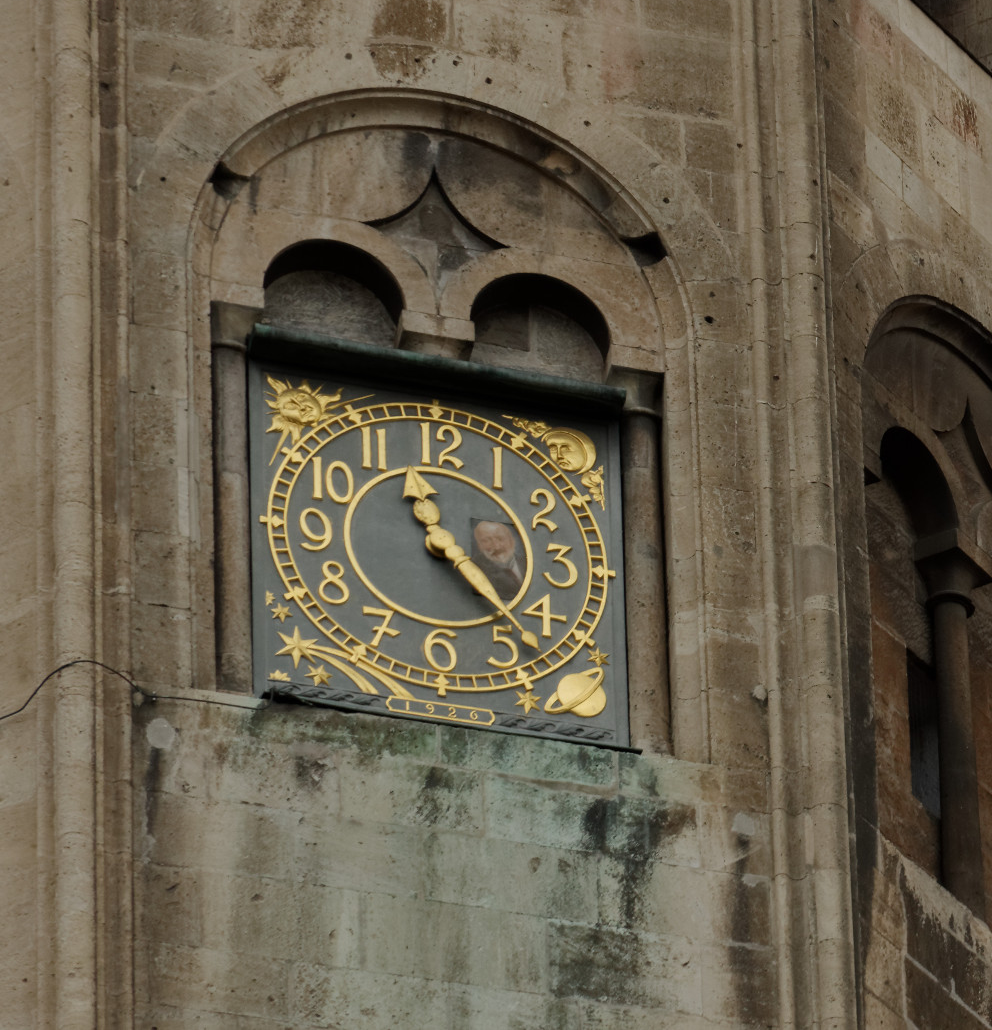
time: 11:22
